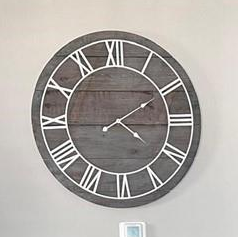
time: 4:09
